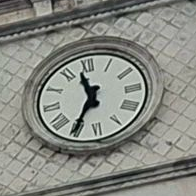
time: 11:35
